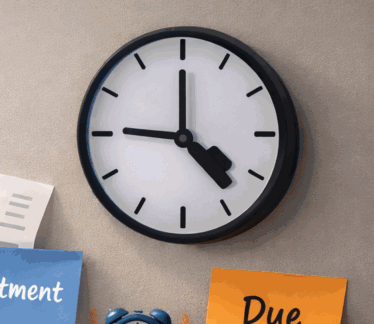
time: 4:45
